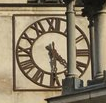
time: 4:29
